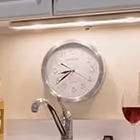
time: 8:39
